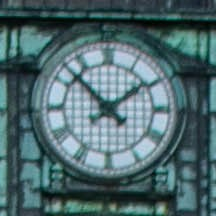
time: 1:52
